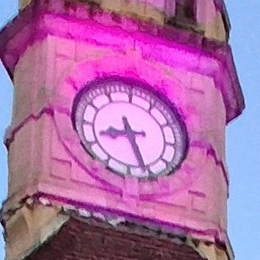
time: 8:26
